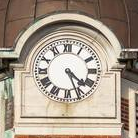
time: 4:26
